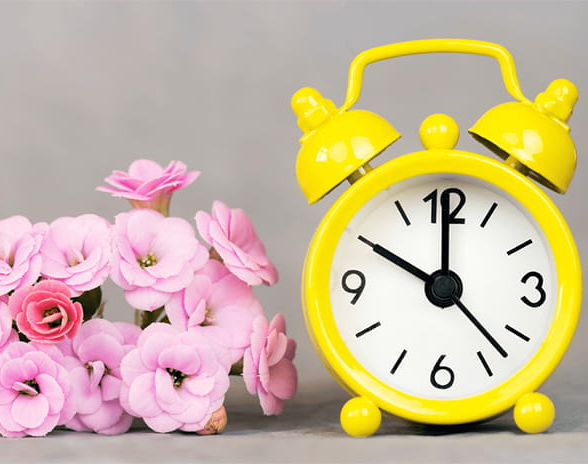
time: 10:00
